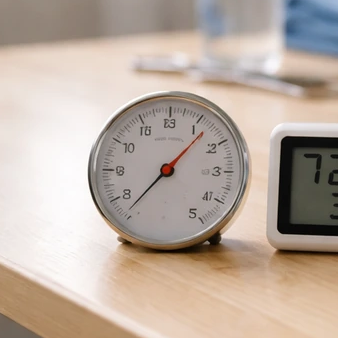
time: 1:36
